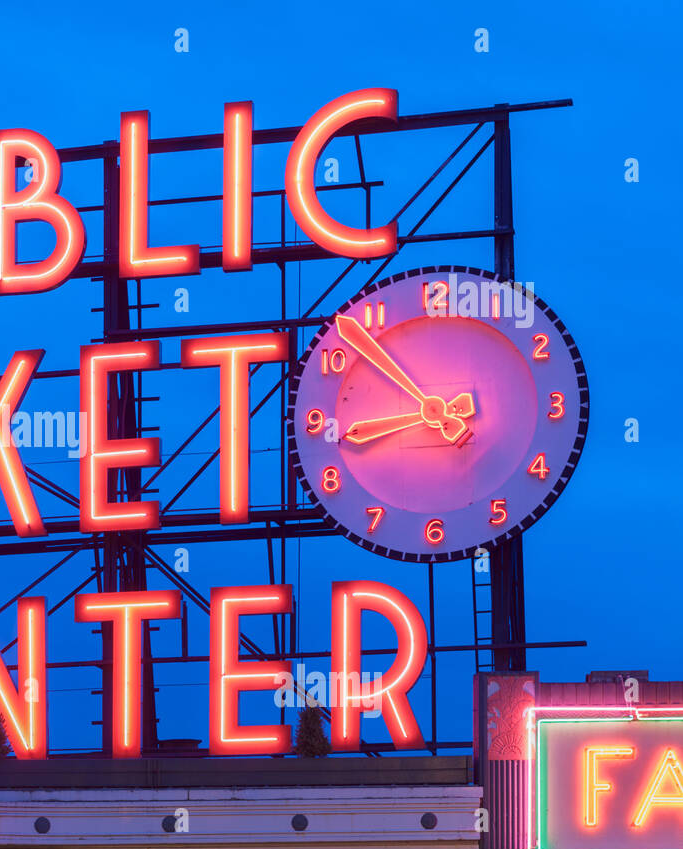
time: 8:52
